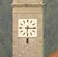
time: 6:15
